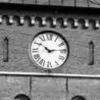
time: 10:13
